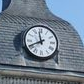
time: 11:40
